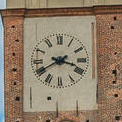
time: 3:40
